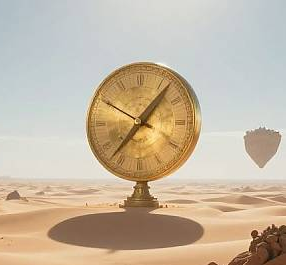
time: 10:06
